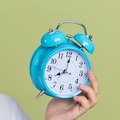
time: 8:01
